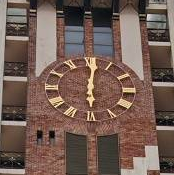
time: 6:00
